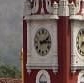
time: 2:14
